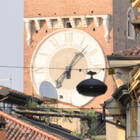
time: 7:07
